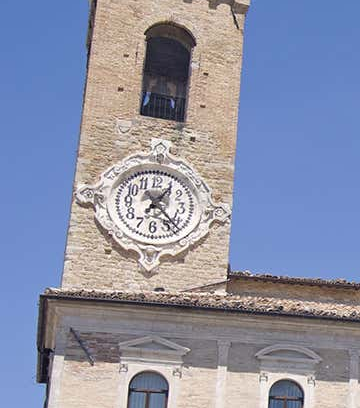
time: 1:24
